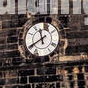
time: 11:40
